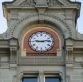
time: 9:13
